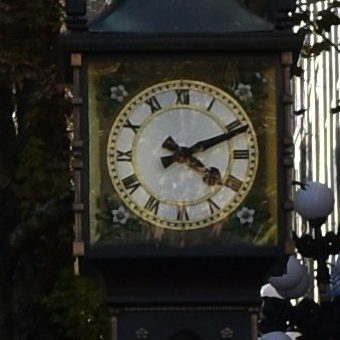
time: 4:11
